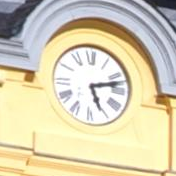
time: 5:12
